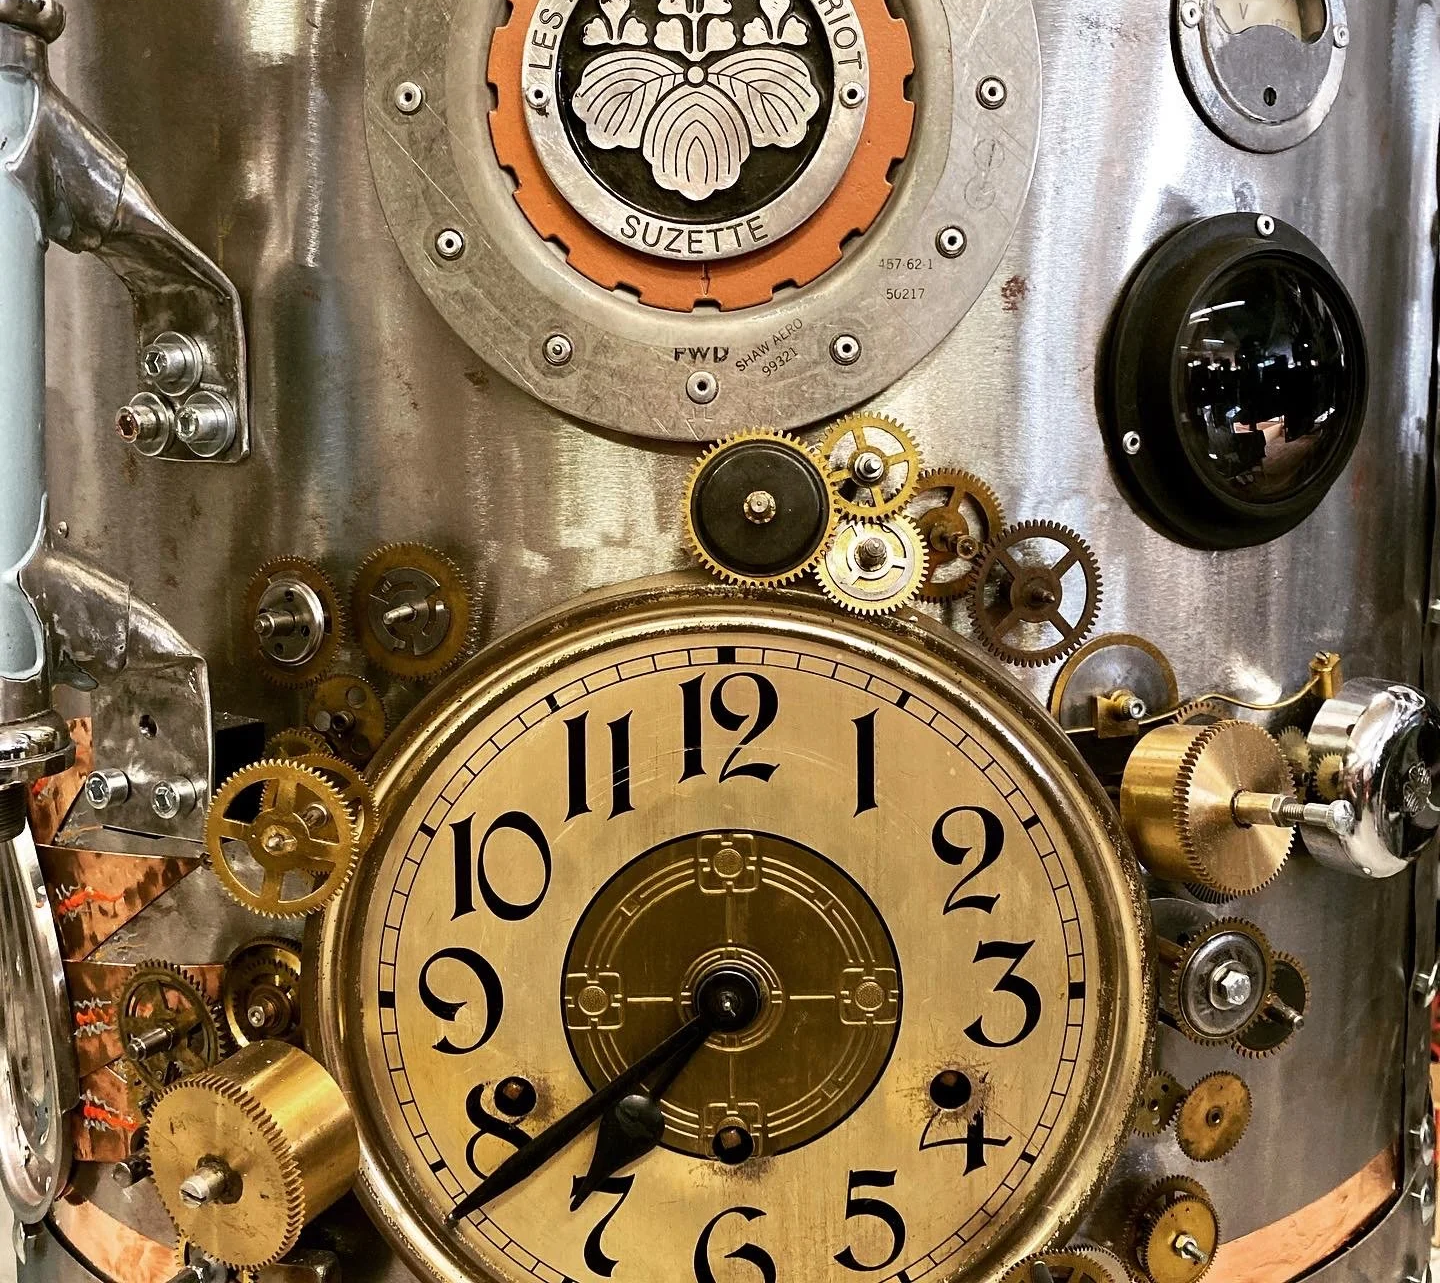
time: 7:38
